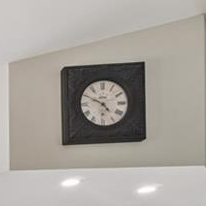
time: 4:49
